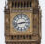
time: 2:42
